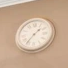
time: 1:36
